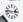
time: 2:46
